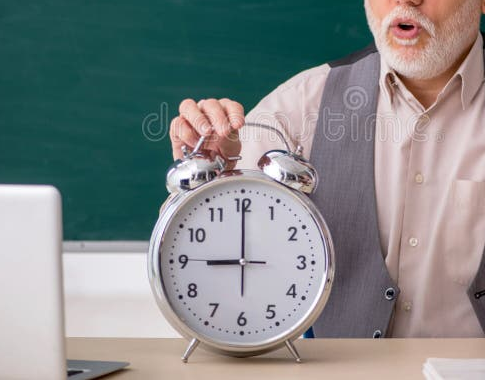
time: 9:00
